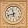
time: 11:42
